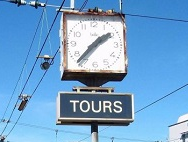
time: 1:36
